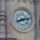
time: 8:12
